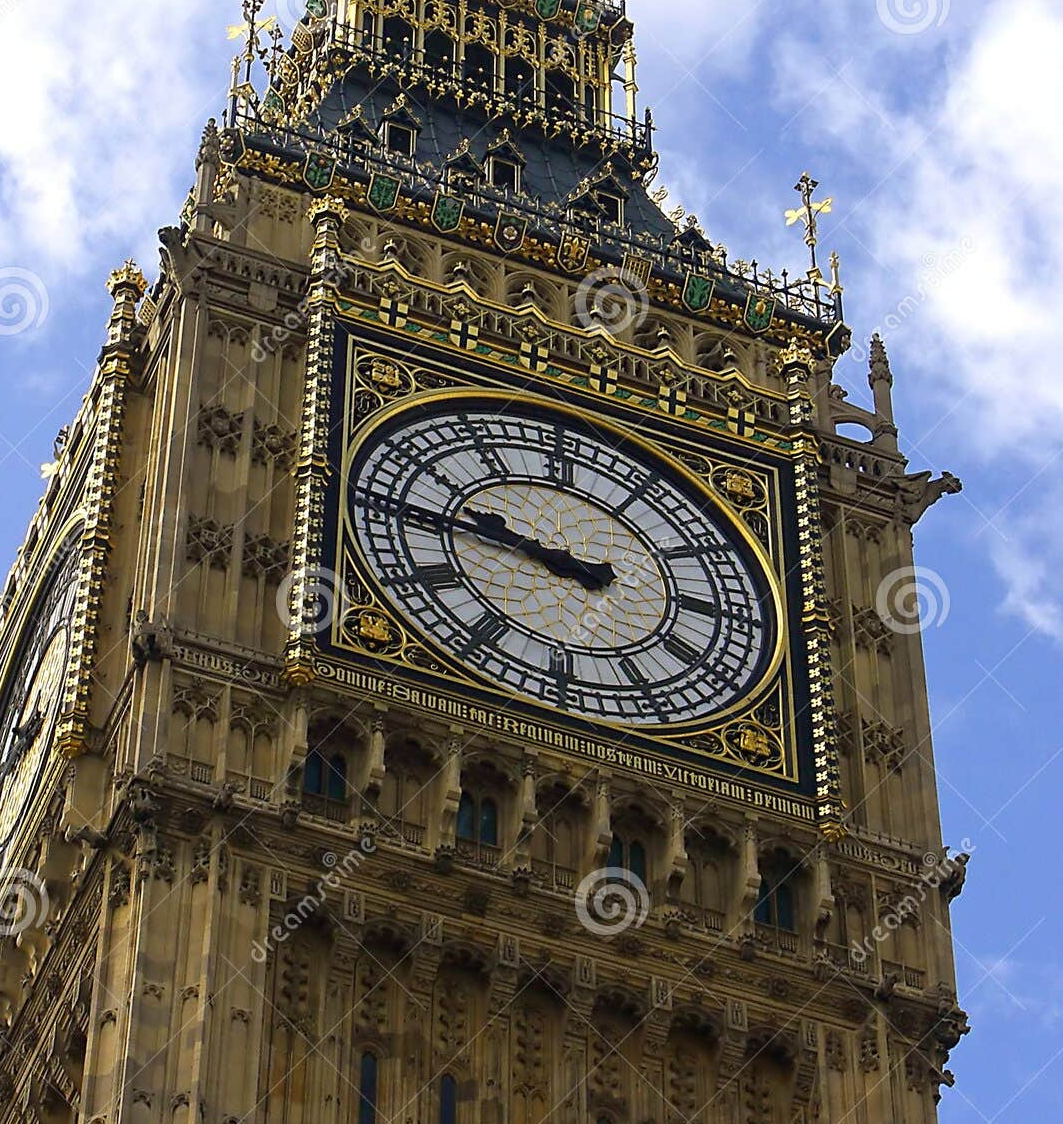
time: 9:45
